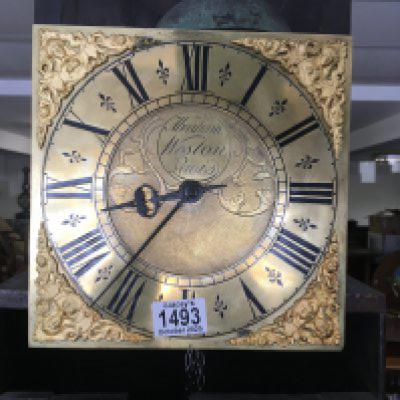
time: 8:36
